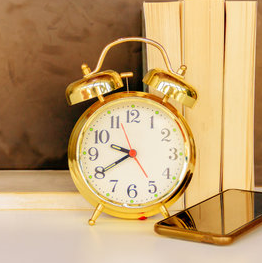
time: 9:40
